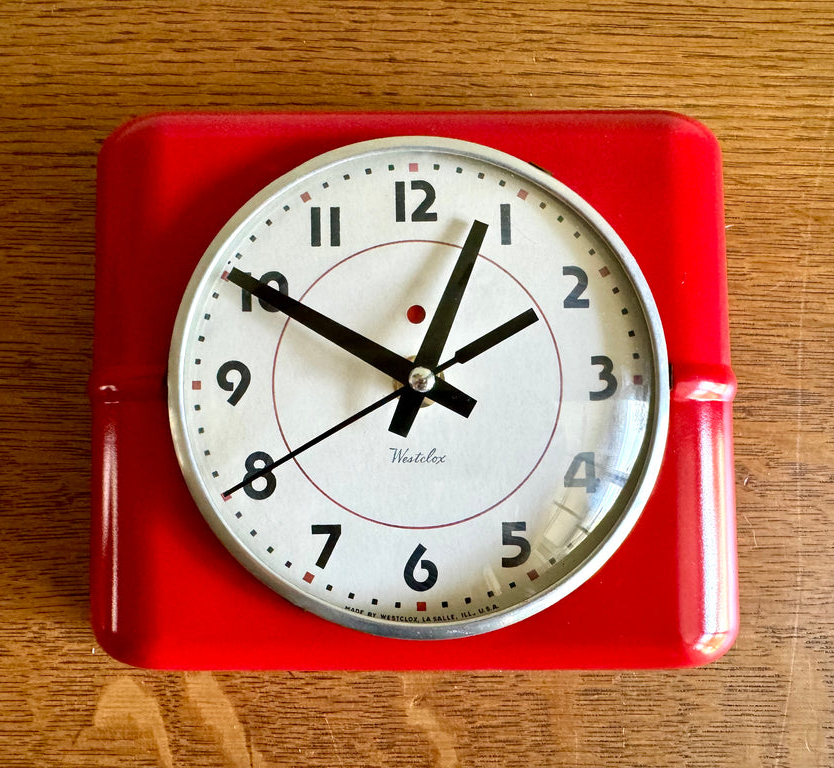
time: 12:49
